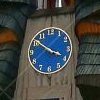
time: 3:50
